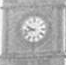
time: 9:42
